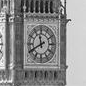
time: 11:40
